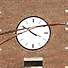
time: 3:50
